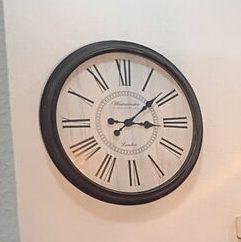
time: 3:08
